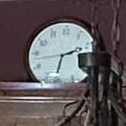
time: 2:31
